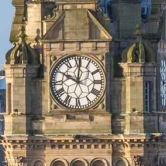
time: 10:00
